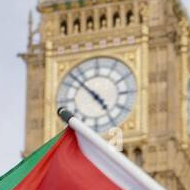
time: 4:52
